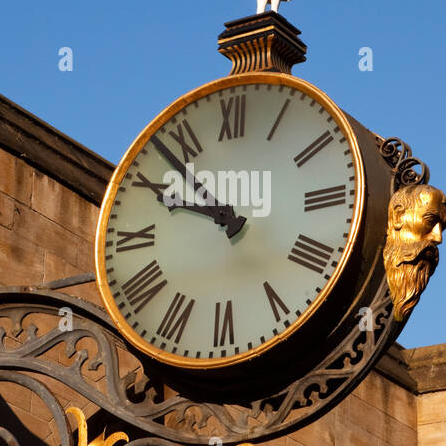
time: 9:53
